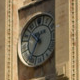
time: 10:34
